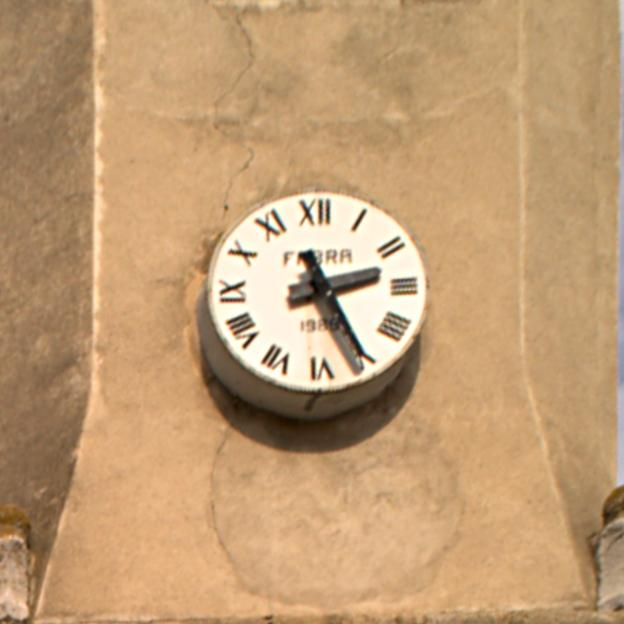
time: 2:25
